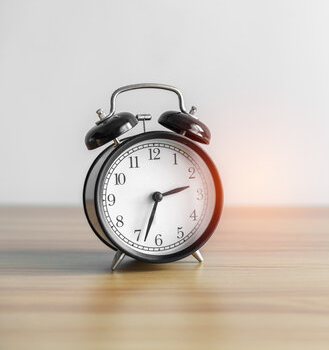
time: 2:33
